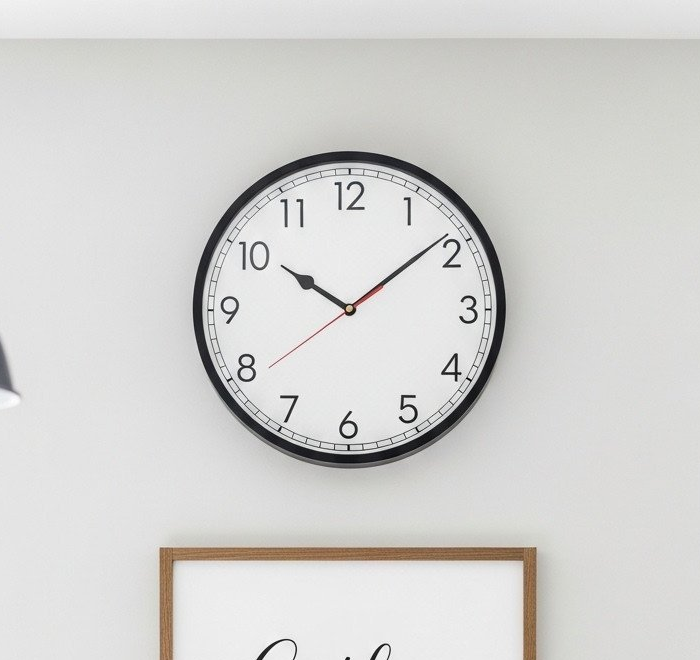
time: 10:08
